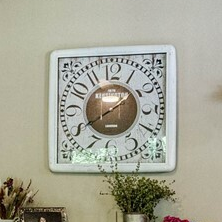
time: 1:40
